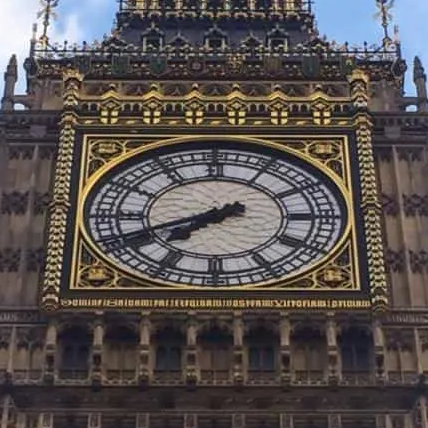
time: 7:41
